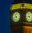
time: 10:42
